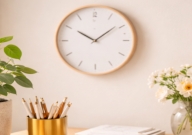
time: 10:08
